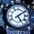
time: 5:09
